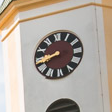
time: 8:40
